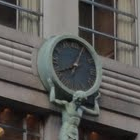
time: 8:04
